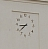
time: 8:38
